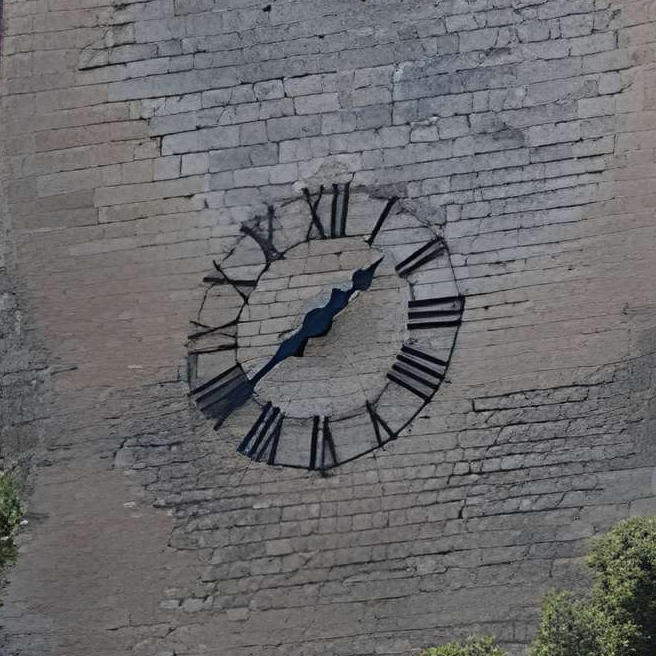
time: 1:38
